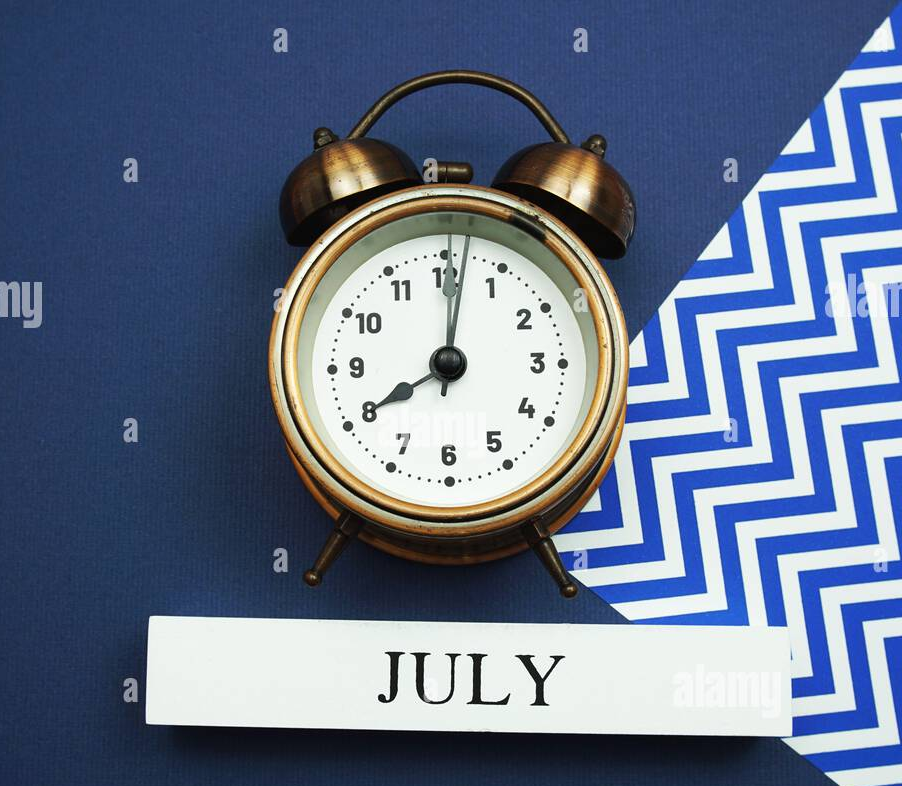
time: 8:01
